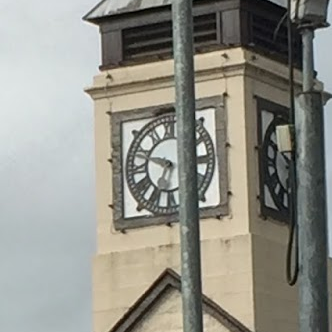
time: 6:48
